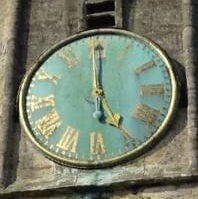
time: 5:00
